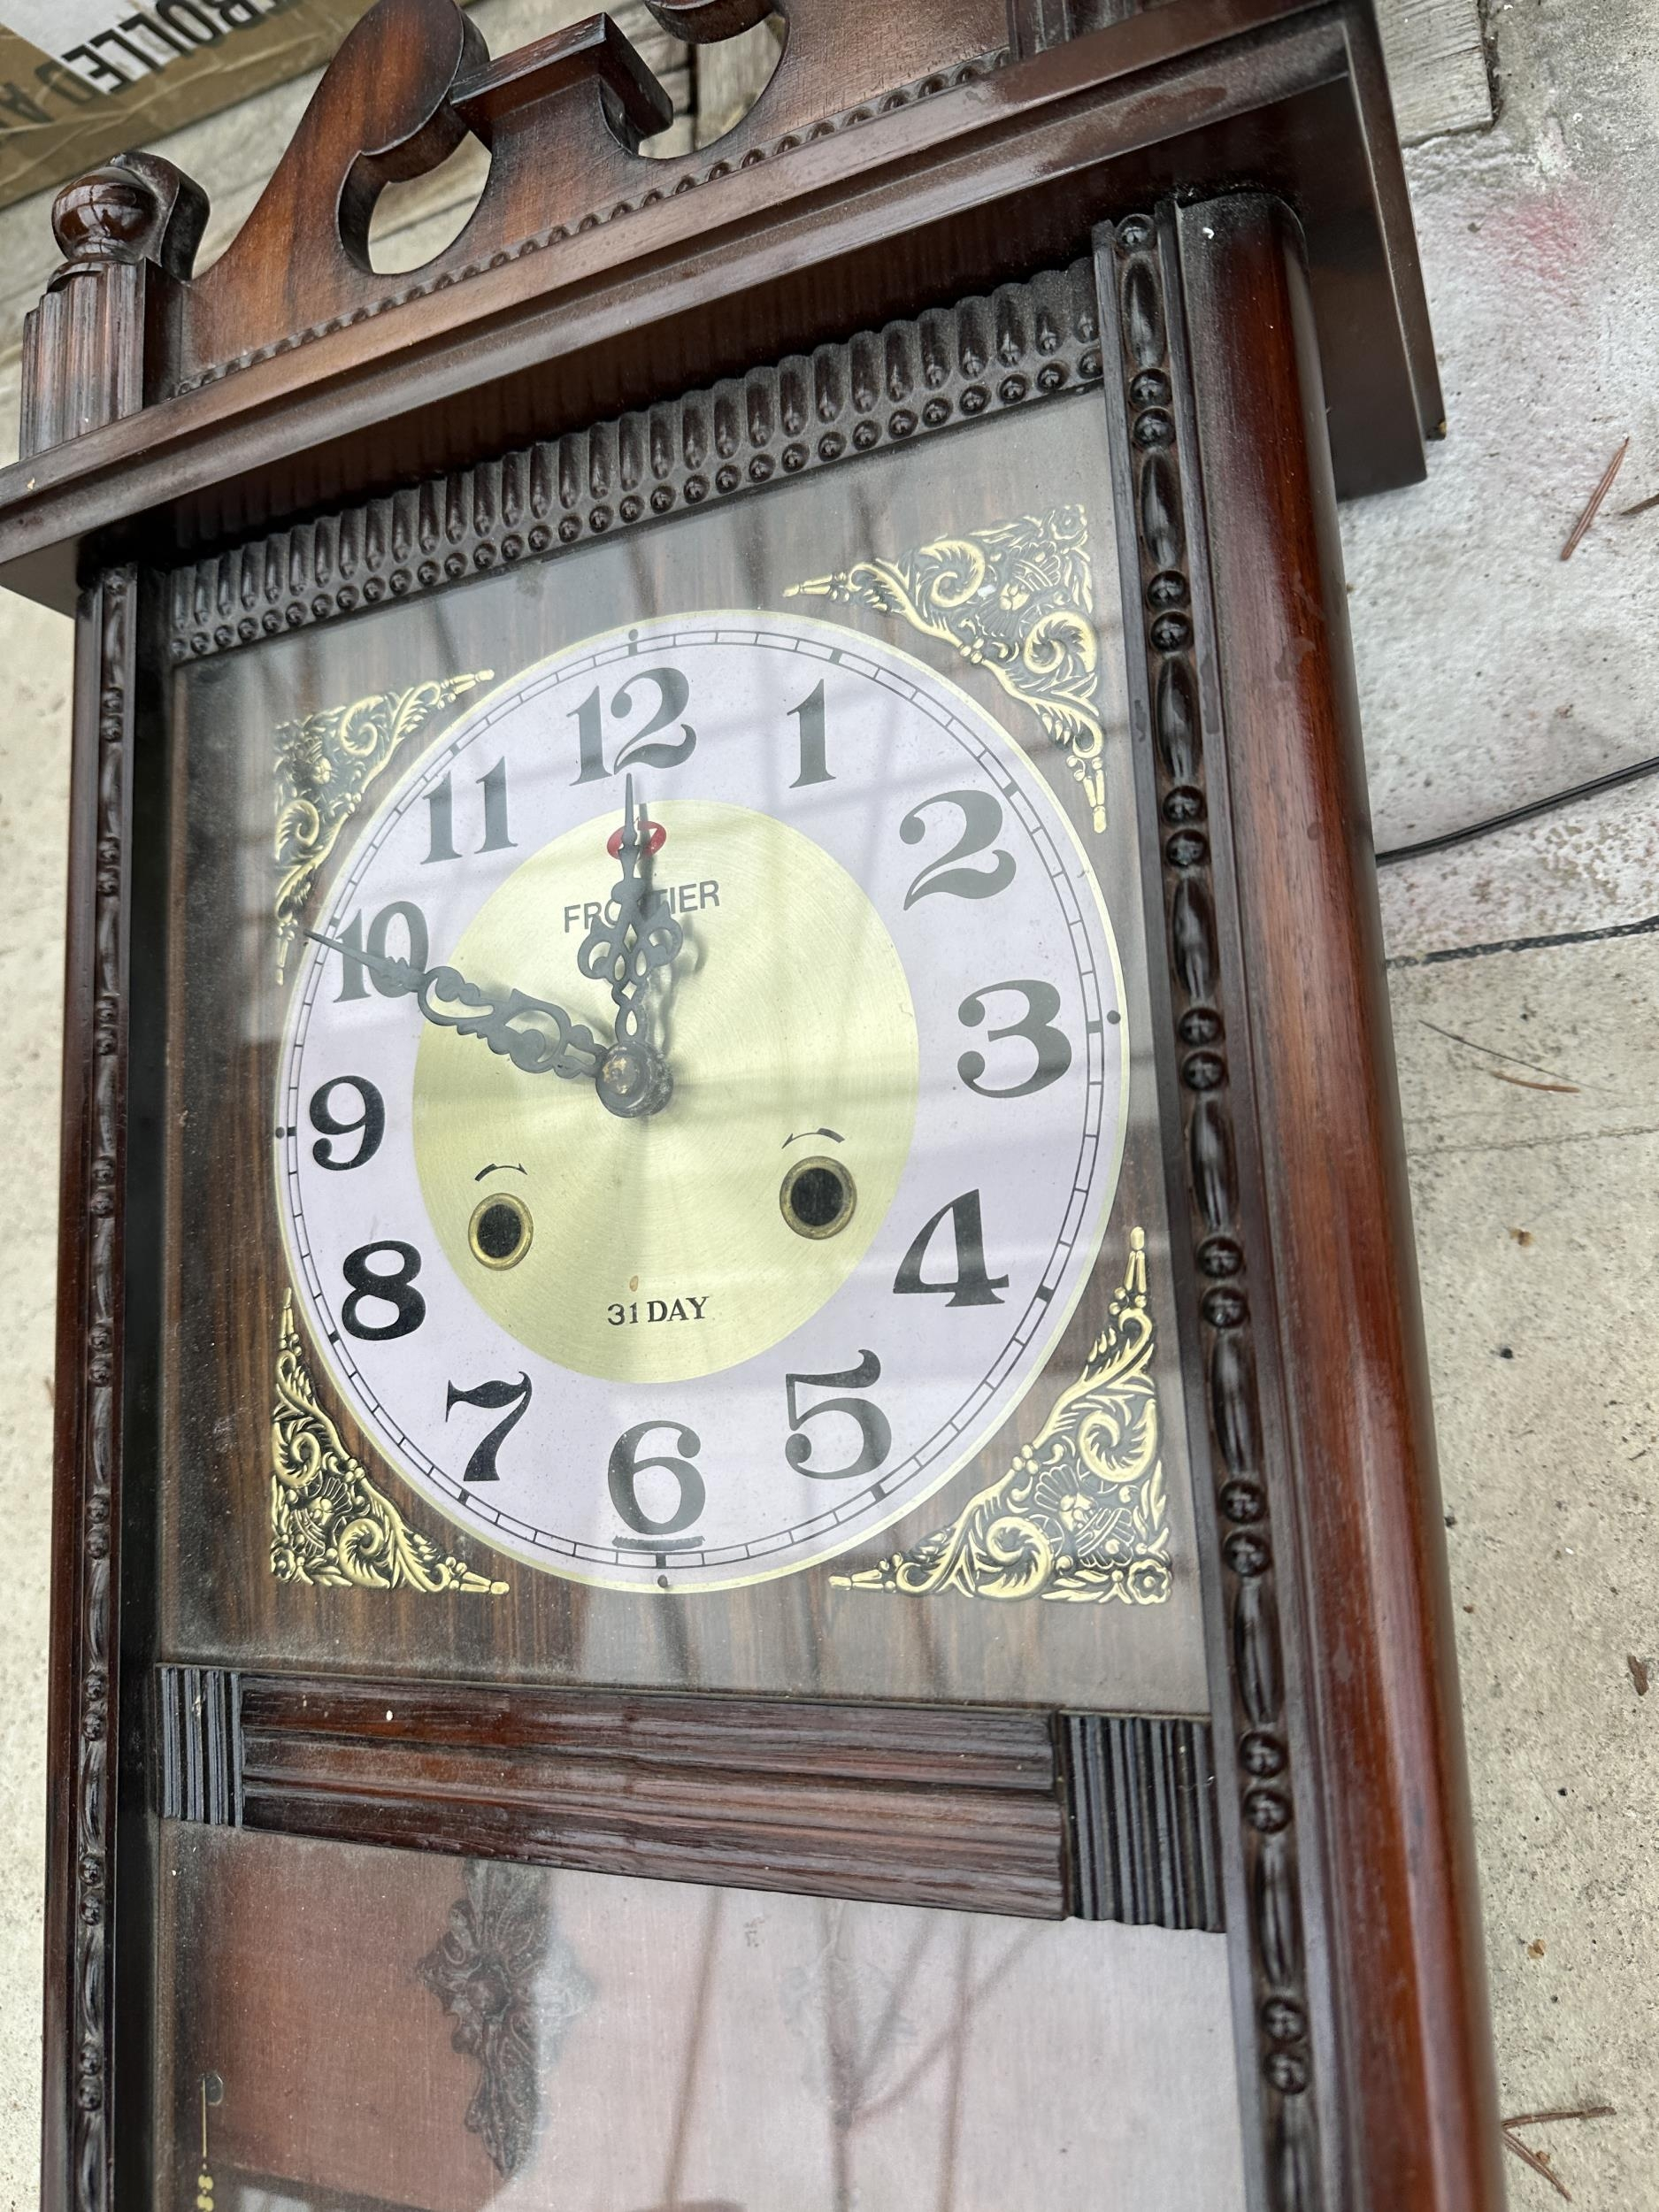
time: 11:48
